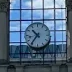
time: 10:36
